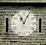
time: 11:05
